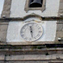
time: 11:27
